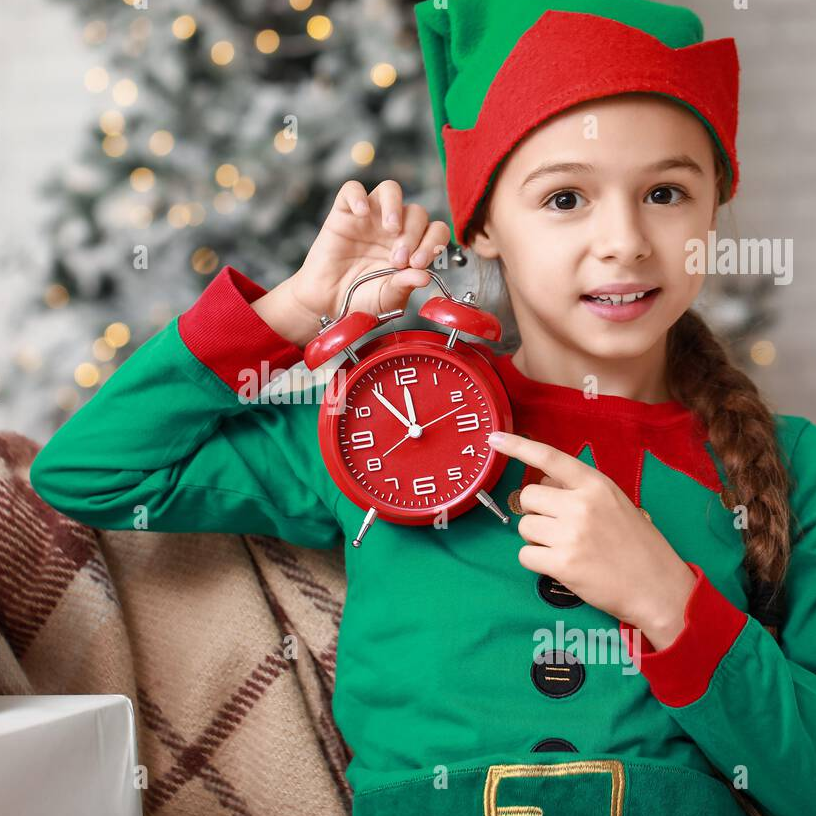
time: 11:53
